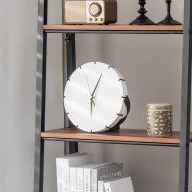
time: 6:03
